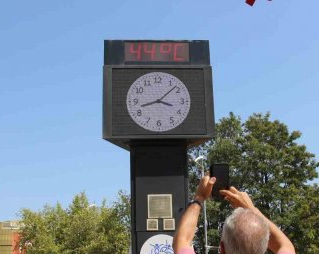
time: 3:42
